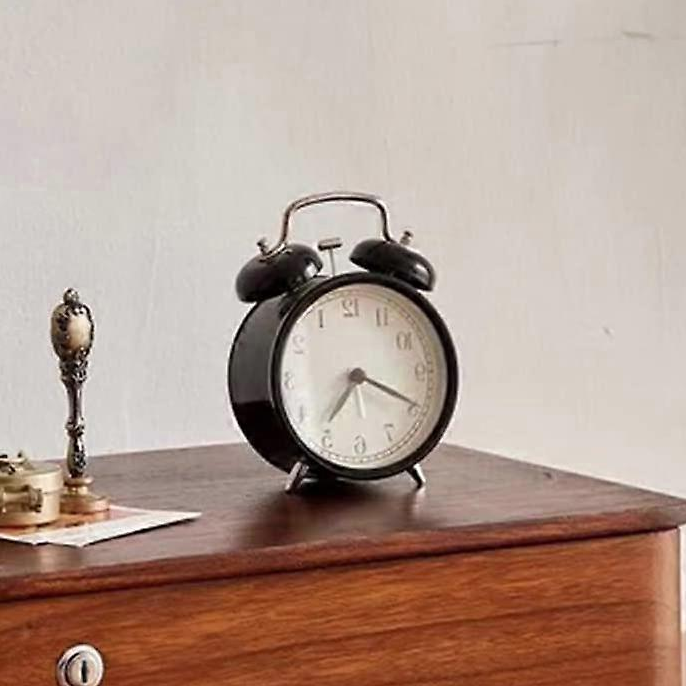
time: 7:19
